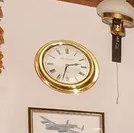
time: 2:32
